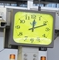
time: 12:11
